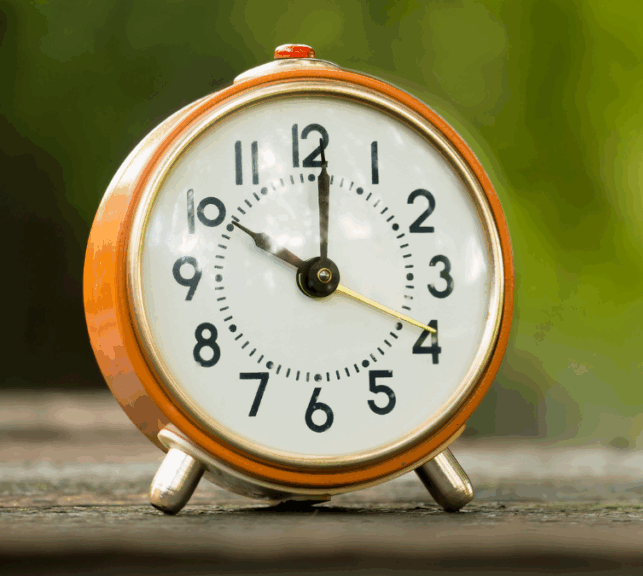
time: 10:00
